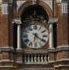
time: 6:21
